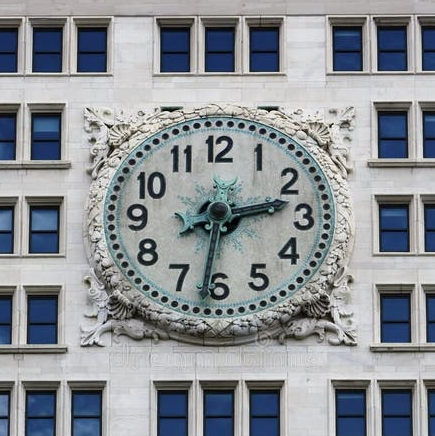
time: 2:31
